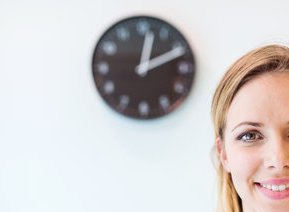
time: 2:02
